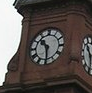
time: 10:29
